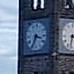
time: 3:35
